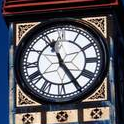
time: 11:24
